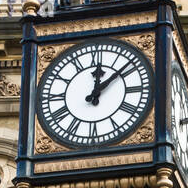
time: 12:08
